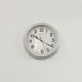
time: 10:20
